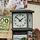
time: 1:51
